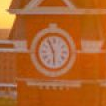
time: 5:55
